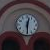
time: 12:29
